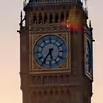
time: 5:35
